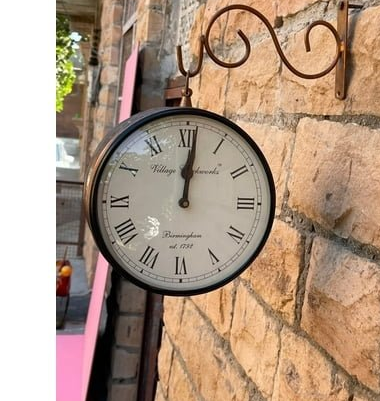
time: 12:01
